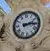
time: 2:14
